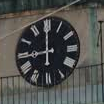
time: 8:59
